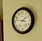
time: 1:46
